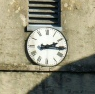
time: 2:15
